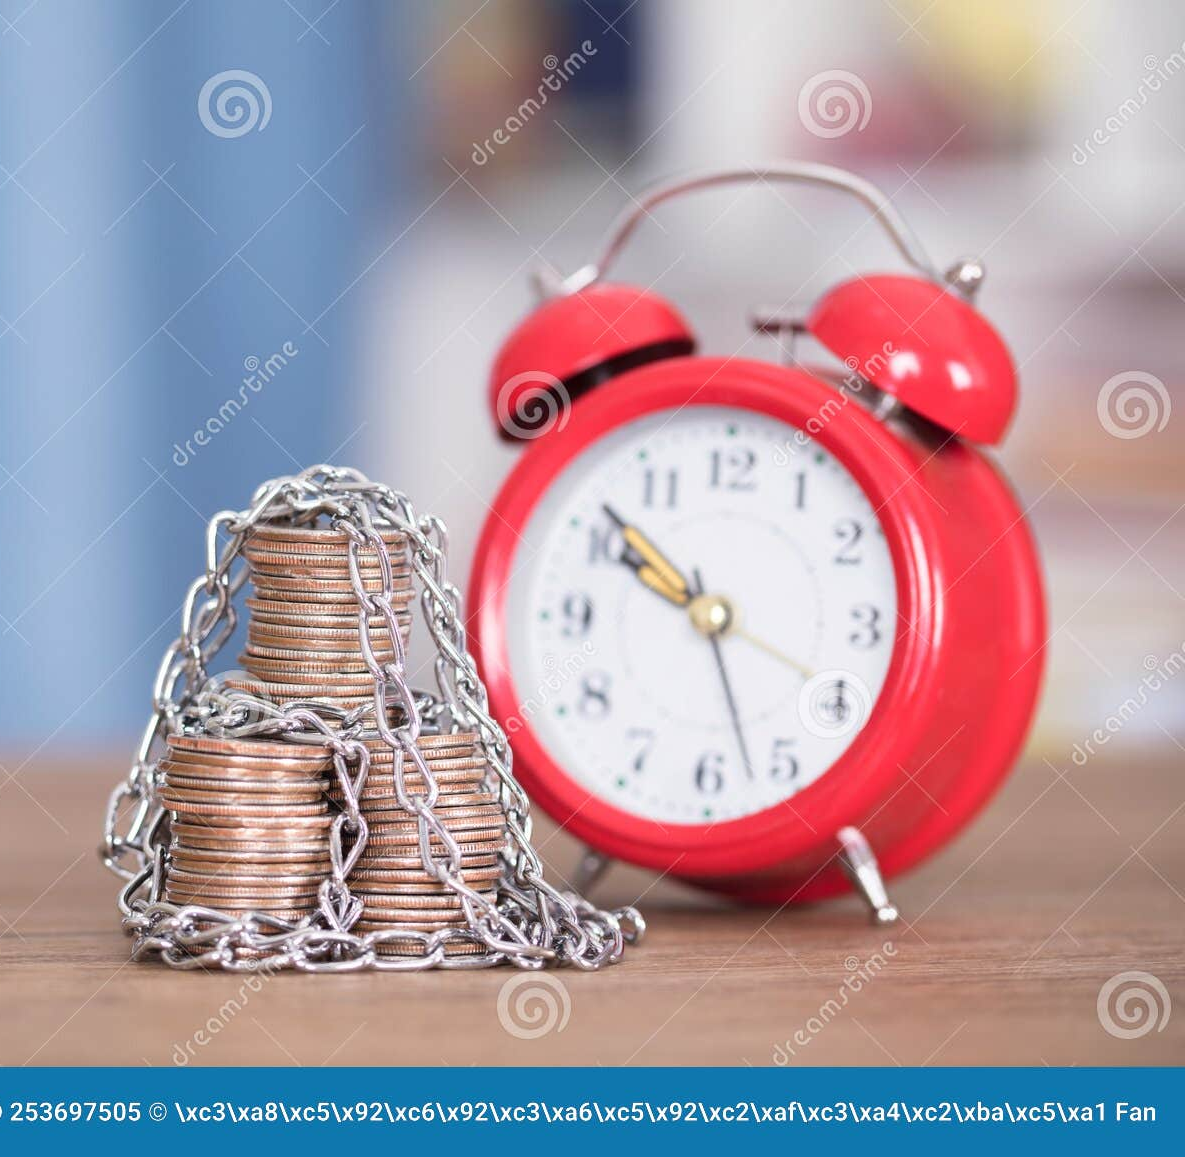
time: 9:51
